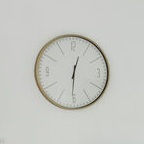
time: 12:30
